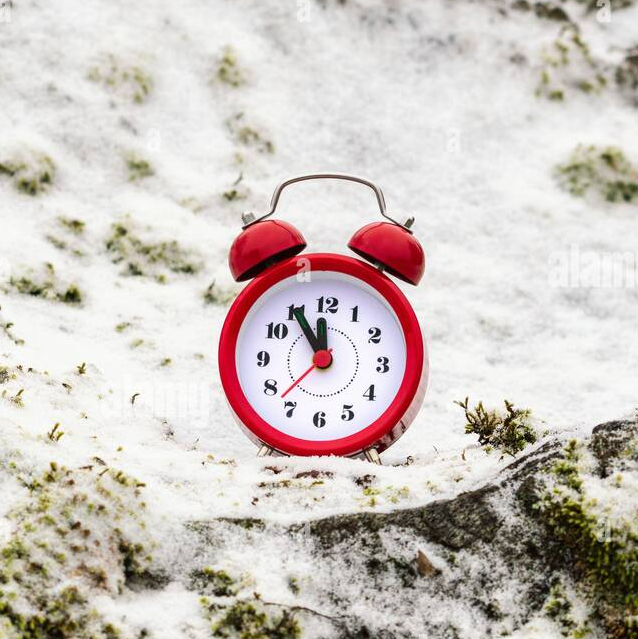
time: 11:54
